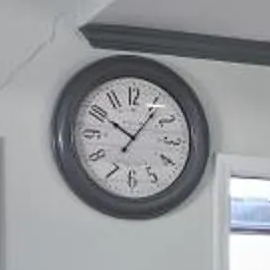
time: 10:06
